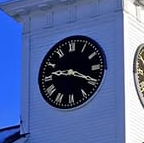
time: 9:19
